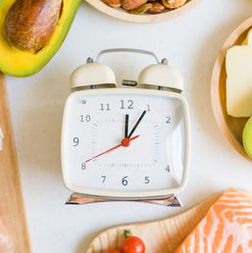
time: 12:05
